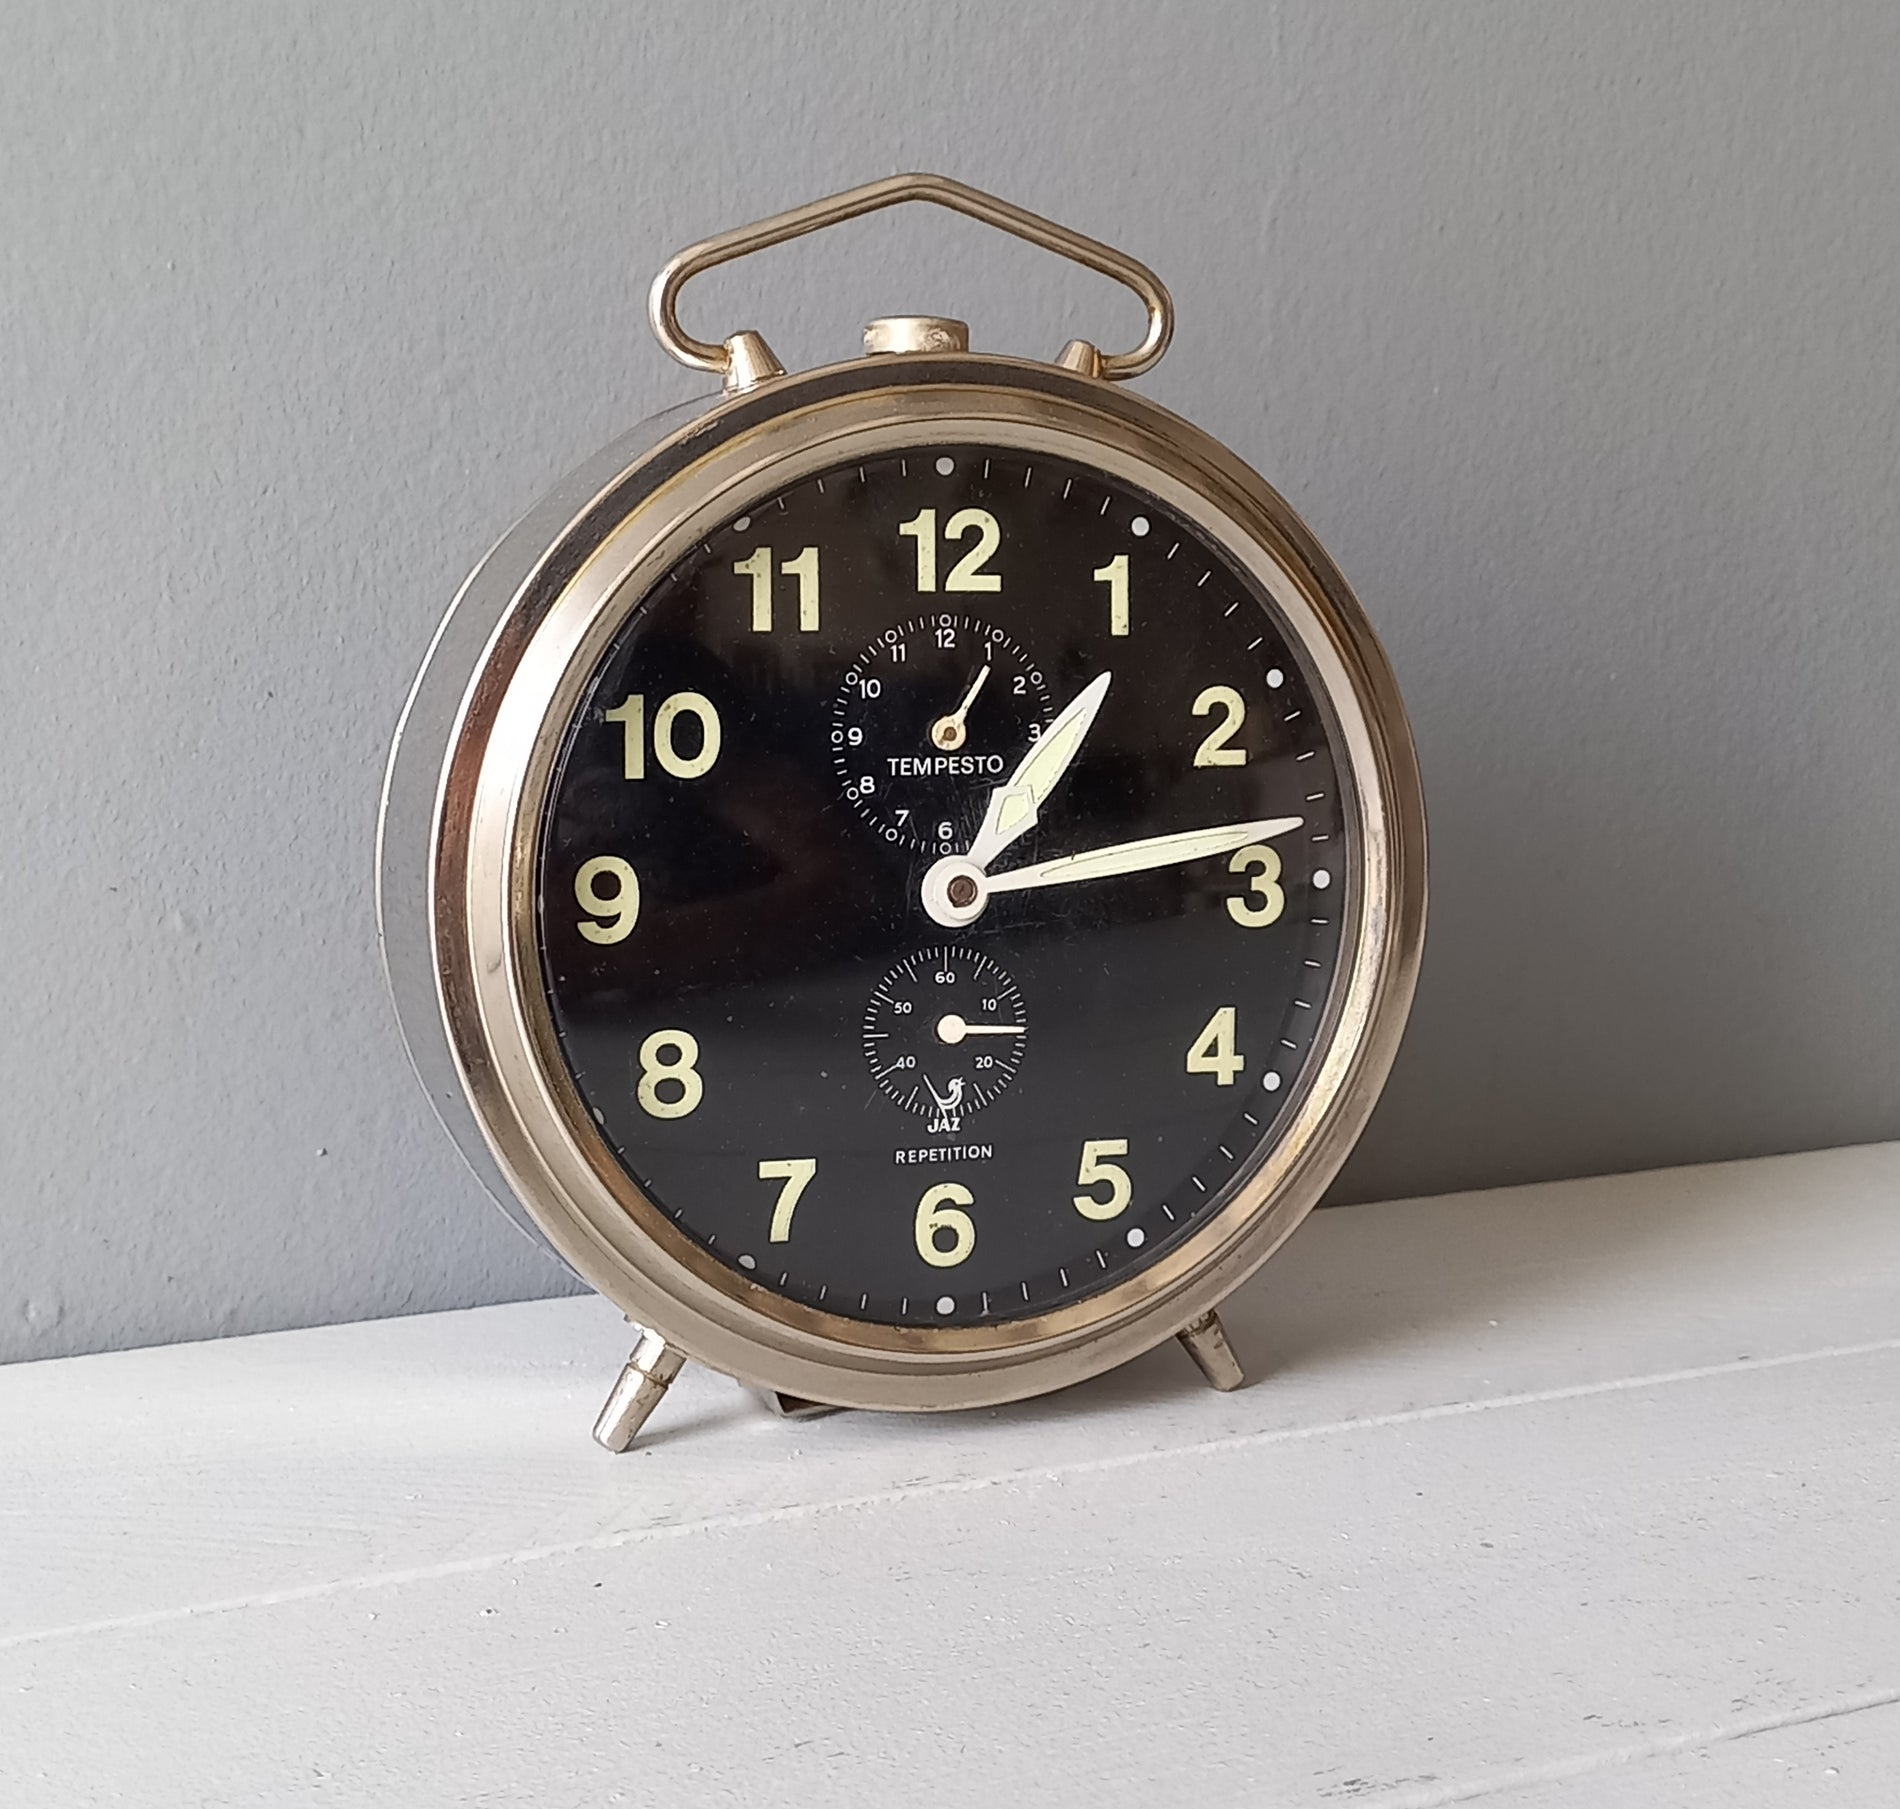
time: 1:13
